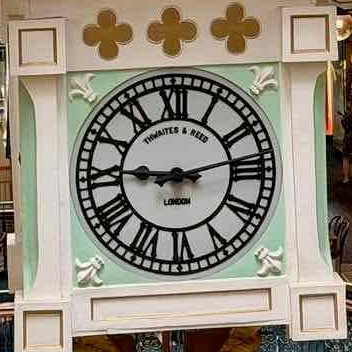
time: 9:12
